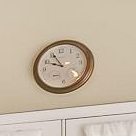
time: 9:55
